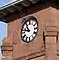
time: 10:47
